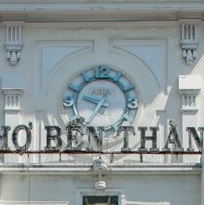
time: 9:35
